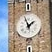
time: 1:56
